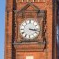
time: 3:17
